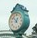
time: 12:52
